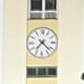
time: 7:22
